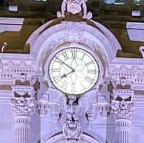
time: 7:50
